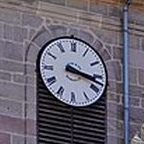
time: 3:17
